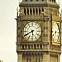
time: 5:40
